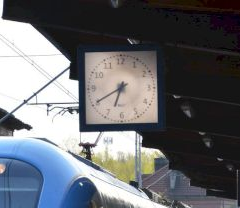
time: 6:40
